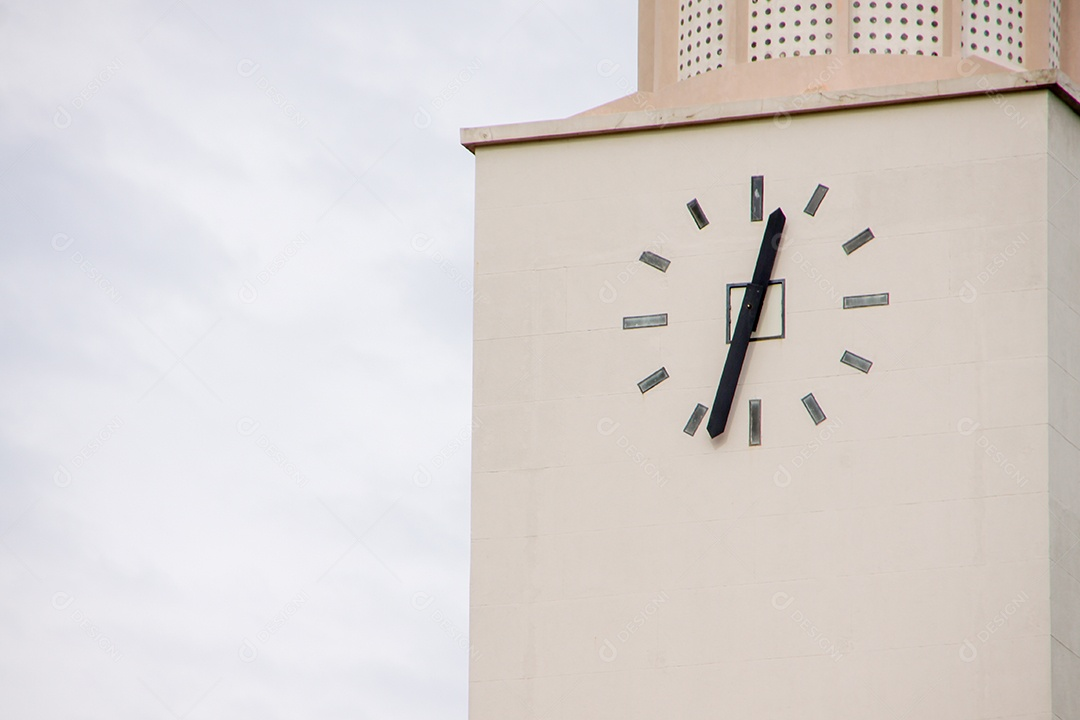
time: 12:33
